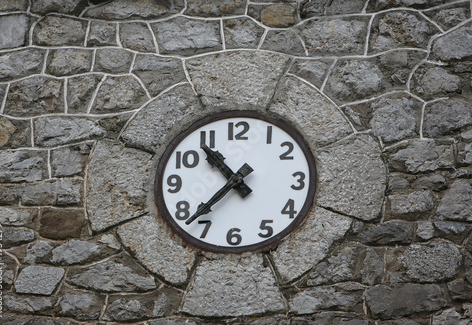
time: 10:37
